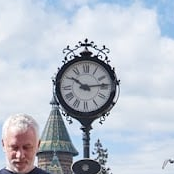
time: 10:13
